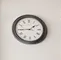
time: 1:44
